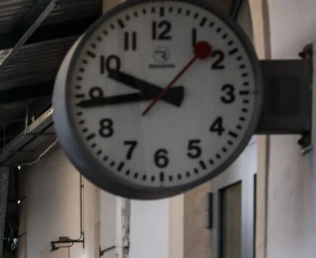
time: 9:43
